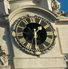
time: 1:30
